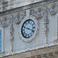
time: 3:48
